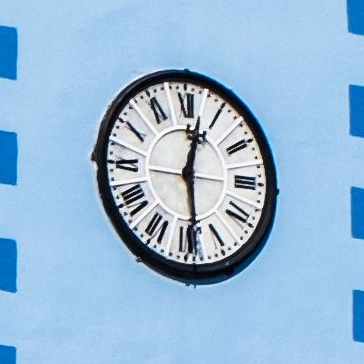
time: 12:28
